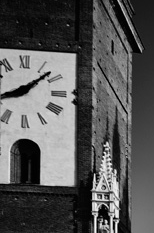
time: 8:07
